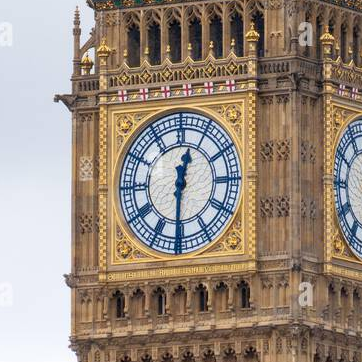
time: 12:30
